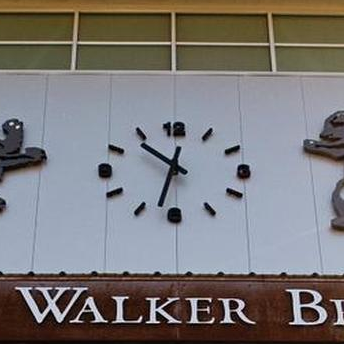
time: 10:32
